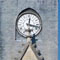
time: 12:17
